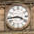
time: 3:43
